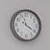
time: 11:20
